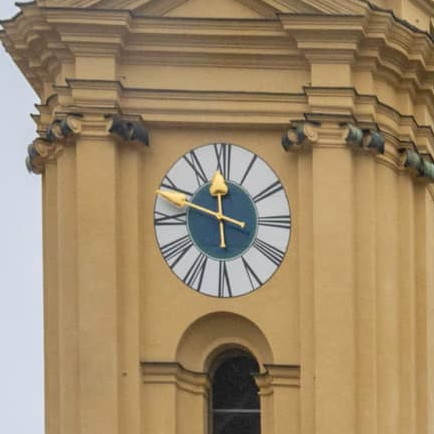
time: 11:48
